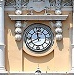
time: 11:40
